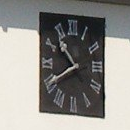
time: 10:40
